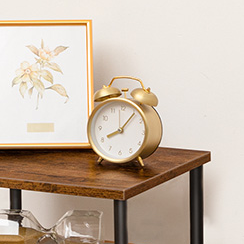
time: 8:05
